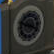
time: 3:48
